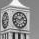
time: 1:46
